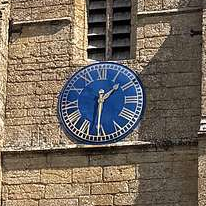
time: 1:30
